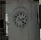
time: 2:21
